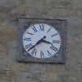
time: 3:37
